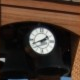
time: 1:41
